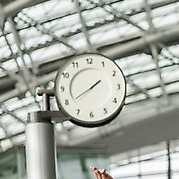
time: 1:40
